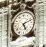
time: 5:11
